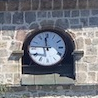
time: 11:46
